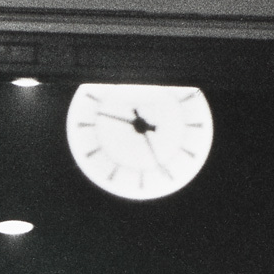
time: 3:47
